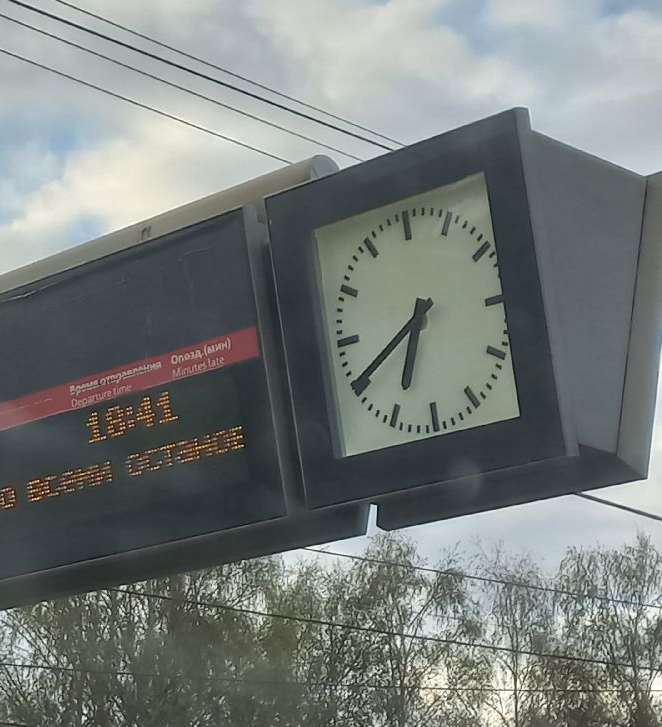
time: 6:40
